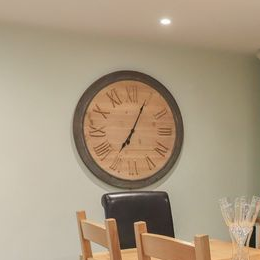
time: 7:04
